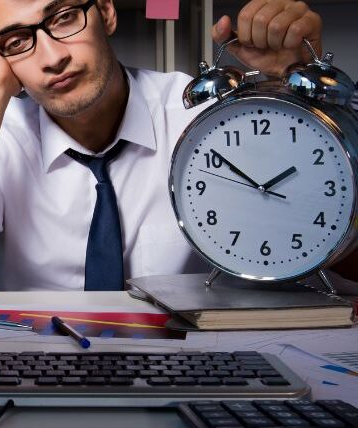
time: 1:51
